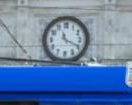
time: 11:19
